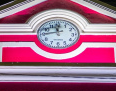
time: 11:44
